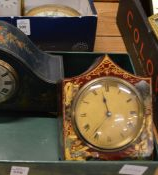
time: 11:36
